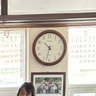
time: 10:32
